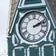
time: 2:12
